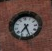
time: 7:27
